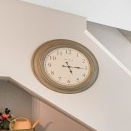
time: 5:15
